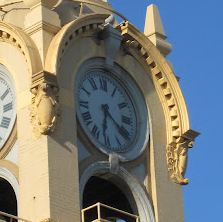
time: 6:21
